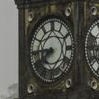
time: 7:44
